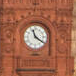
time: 11:21
